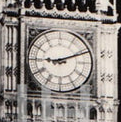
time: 9:11
